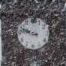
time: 9:47
